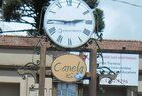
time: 2:46
